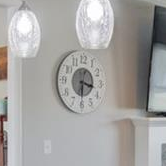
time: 3:30
